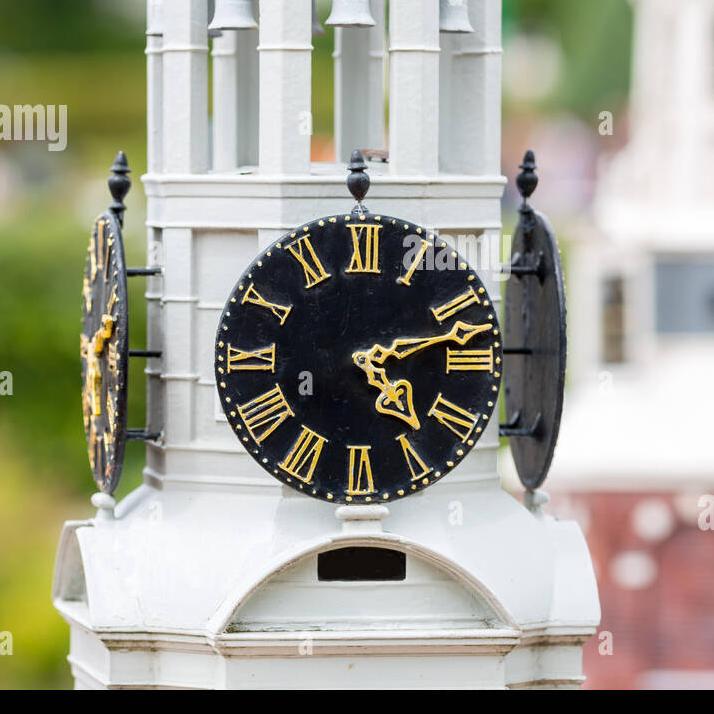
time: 4:12
